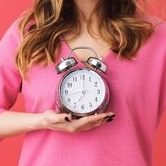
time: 7:00
